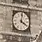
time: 4:01
